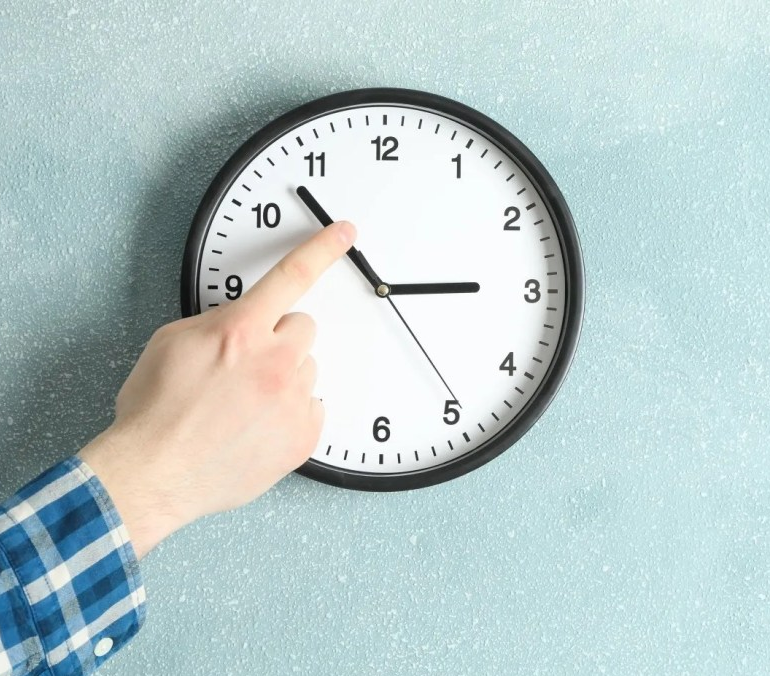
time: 2:53
